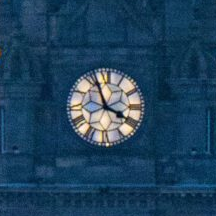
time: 3:56
